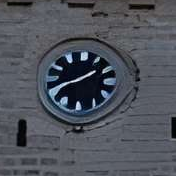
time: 1:40
